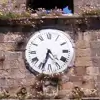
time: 4:33
